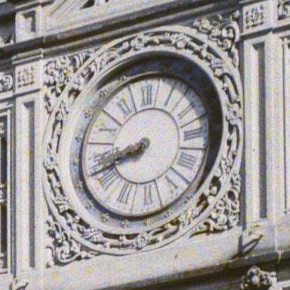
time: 8:41
